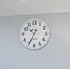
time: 10:34
